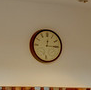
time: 12:14
